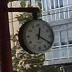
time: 12:20
